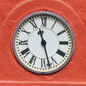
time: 11:27
